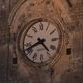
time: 4:41
